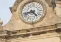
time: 4:42
